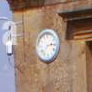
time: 2:38
